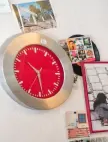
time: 10:28
